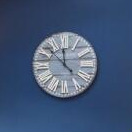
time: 11:52
